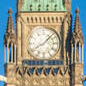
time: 8:07
